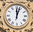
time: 12:03
